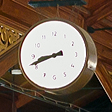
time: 8:41
